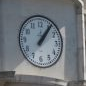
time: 1:06
